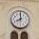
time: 7:59
